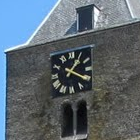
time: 1:20
